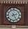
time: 2:24
